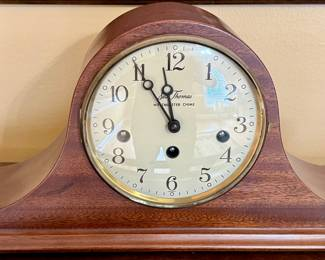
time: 11:54
